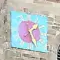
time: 1:26
